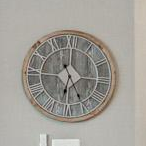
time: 6:25
